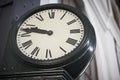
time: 9:47
